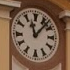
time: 11:07
